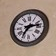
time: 2:35
